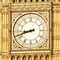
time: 8:42
